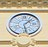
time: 1:28
